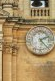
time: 2:22
